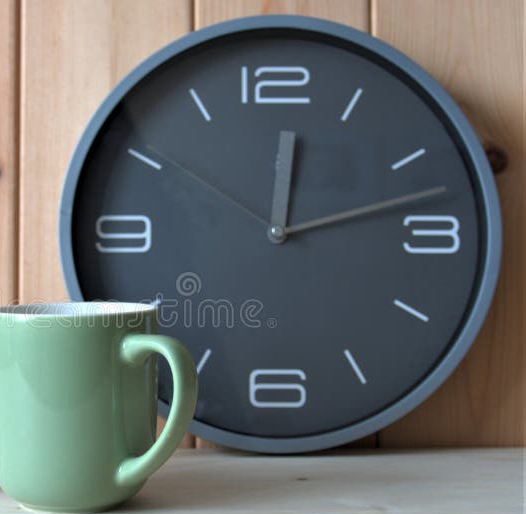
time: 12:12
